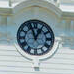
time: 12:57
